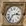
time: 2:36
